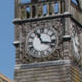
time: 11:17
